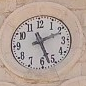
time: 2:27
